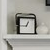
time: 12:45
